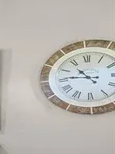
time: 10:45
